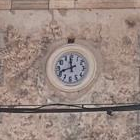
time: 11:41
